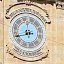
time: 11:41
